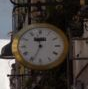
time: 11:33
